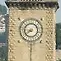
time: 8:38
